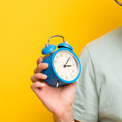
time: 3:07
